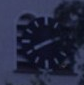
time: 8:11
